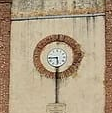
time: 5:44
